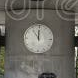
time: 11:53
